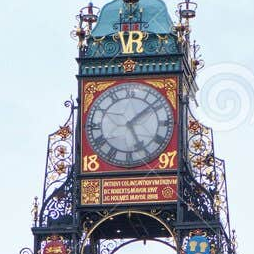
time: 5:08
